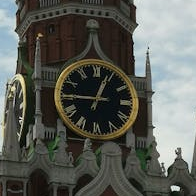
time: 12:45
